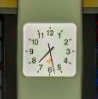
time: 7:28
